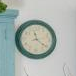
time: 11:21
